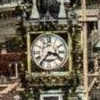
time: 3:36
